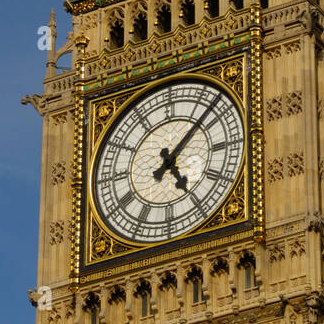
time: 5:07
